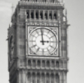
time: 2:59
